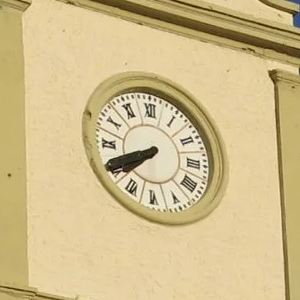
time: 7:40
